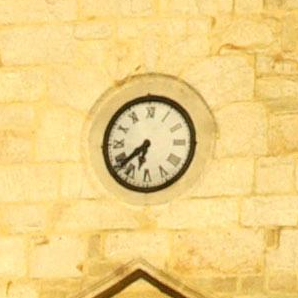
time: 6:38
